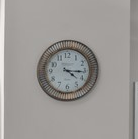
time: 4:15
